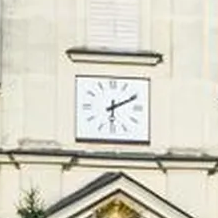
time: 6:10
